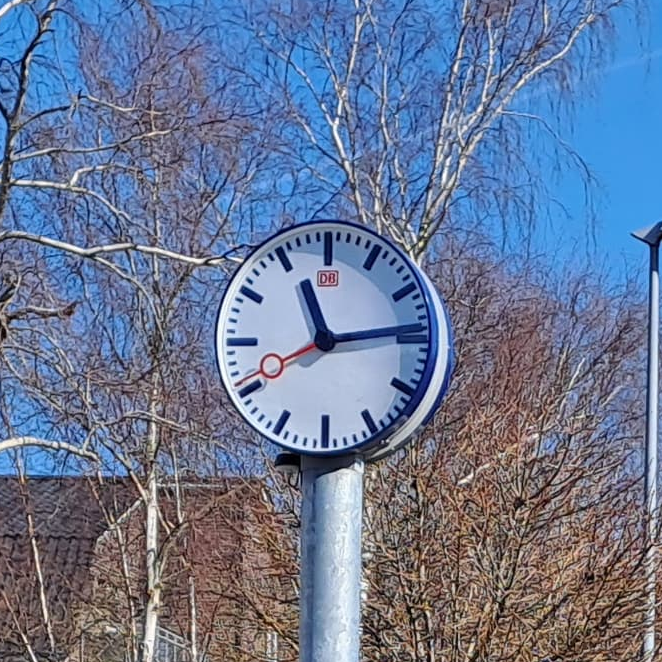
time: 11:13
